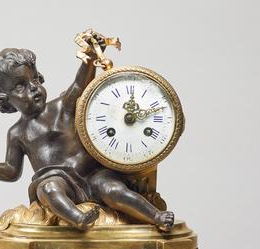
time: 12:11
